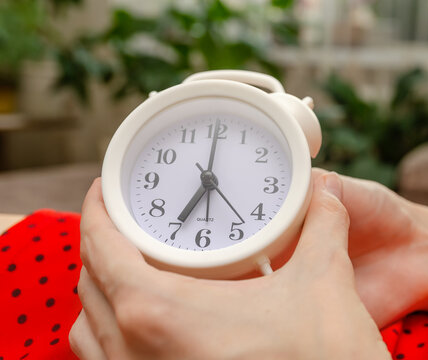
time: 7:00
